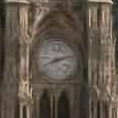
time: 8:12
